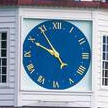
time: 4:49
